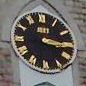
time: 3:16
